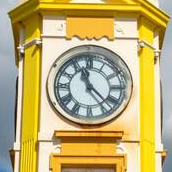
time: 11:22
